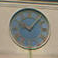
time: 10:07
